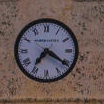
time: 7:20
